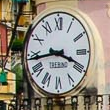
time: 3:43
